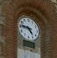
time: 4:46
